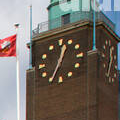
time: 12:34
